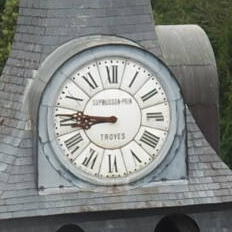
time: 8:45
